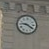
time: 9:20
